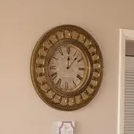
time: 12:07
